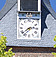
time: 2:38
